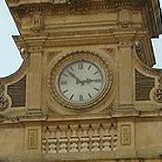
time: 2:52
